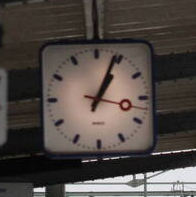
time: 1:03
